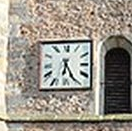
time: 6:25
